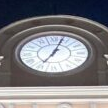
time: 7:03
